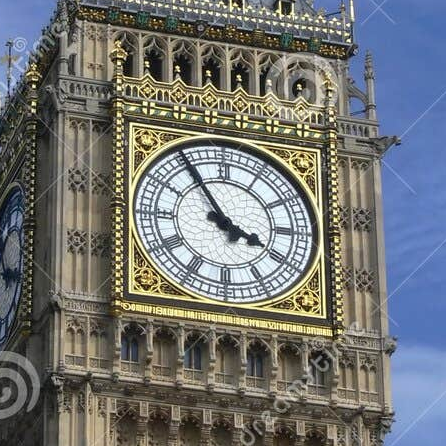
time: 3:54
